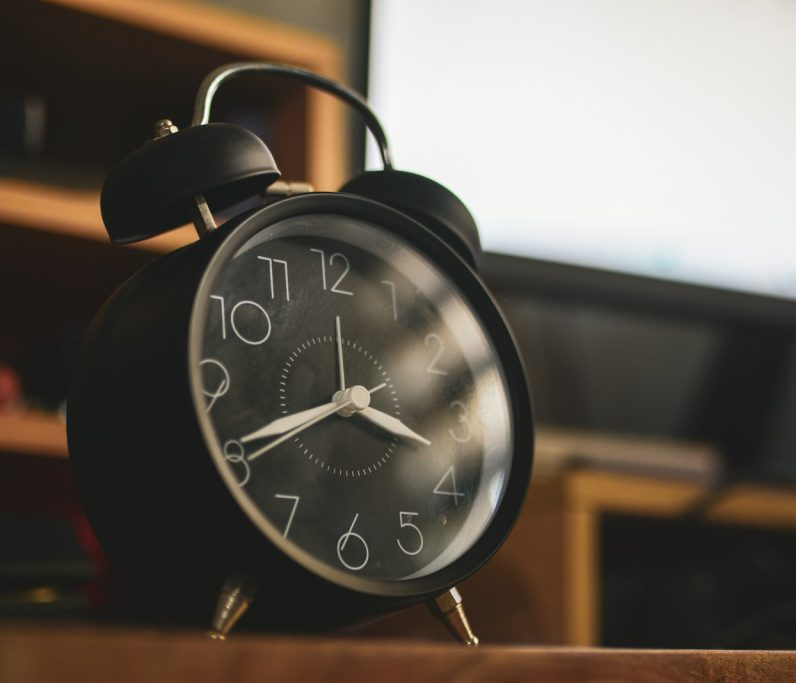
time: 3:40
